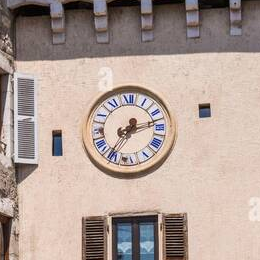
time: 7:12
